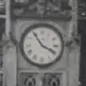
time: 3:54
